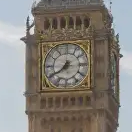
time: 7:39
